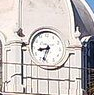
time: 8:33
